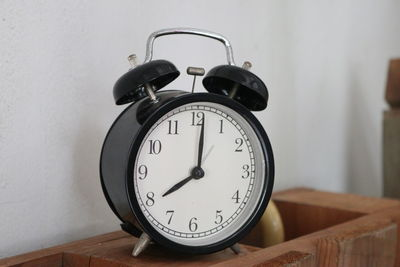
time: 8:01
